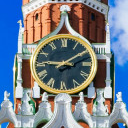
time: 9:09
